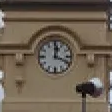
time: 12:18
